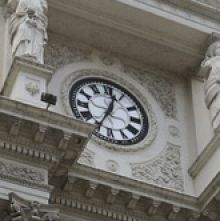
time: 12:34
